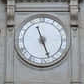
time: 11:26
